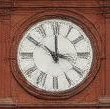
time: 11:51
